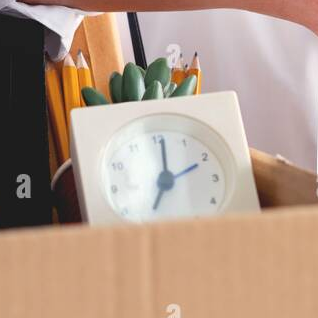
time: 7:01
